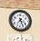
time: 7:25
